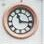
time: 11:16
